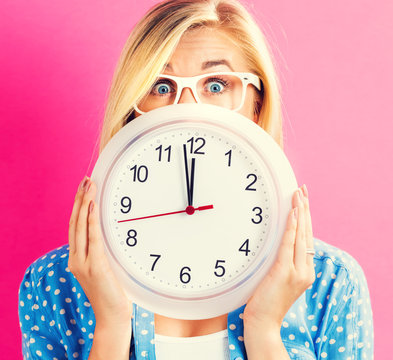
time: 11:58
